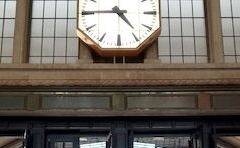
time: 4:45
